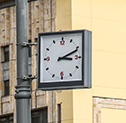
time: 3:11
